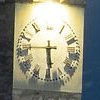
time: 5:46
